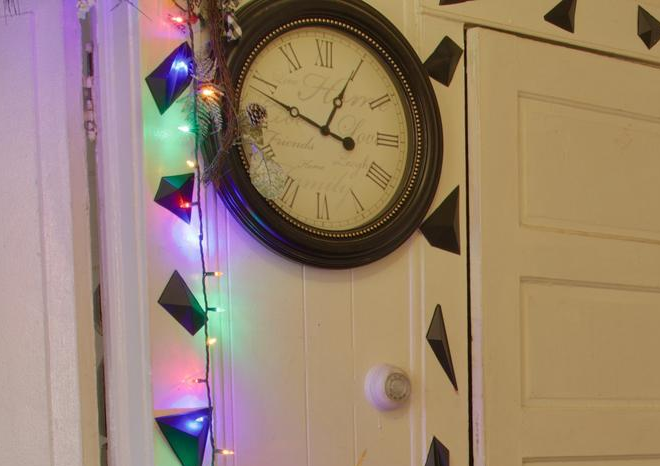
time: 12:48
